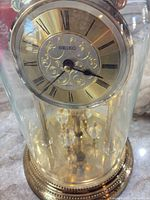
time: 3:37
